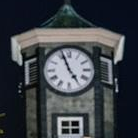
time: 4:56
